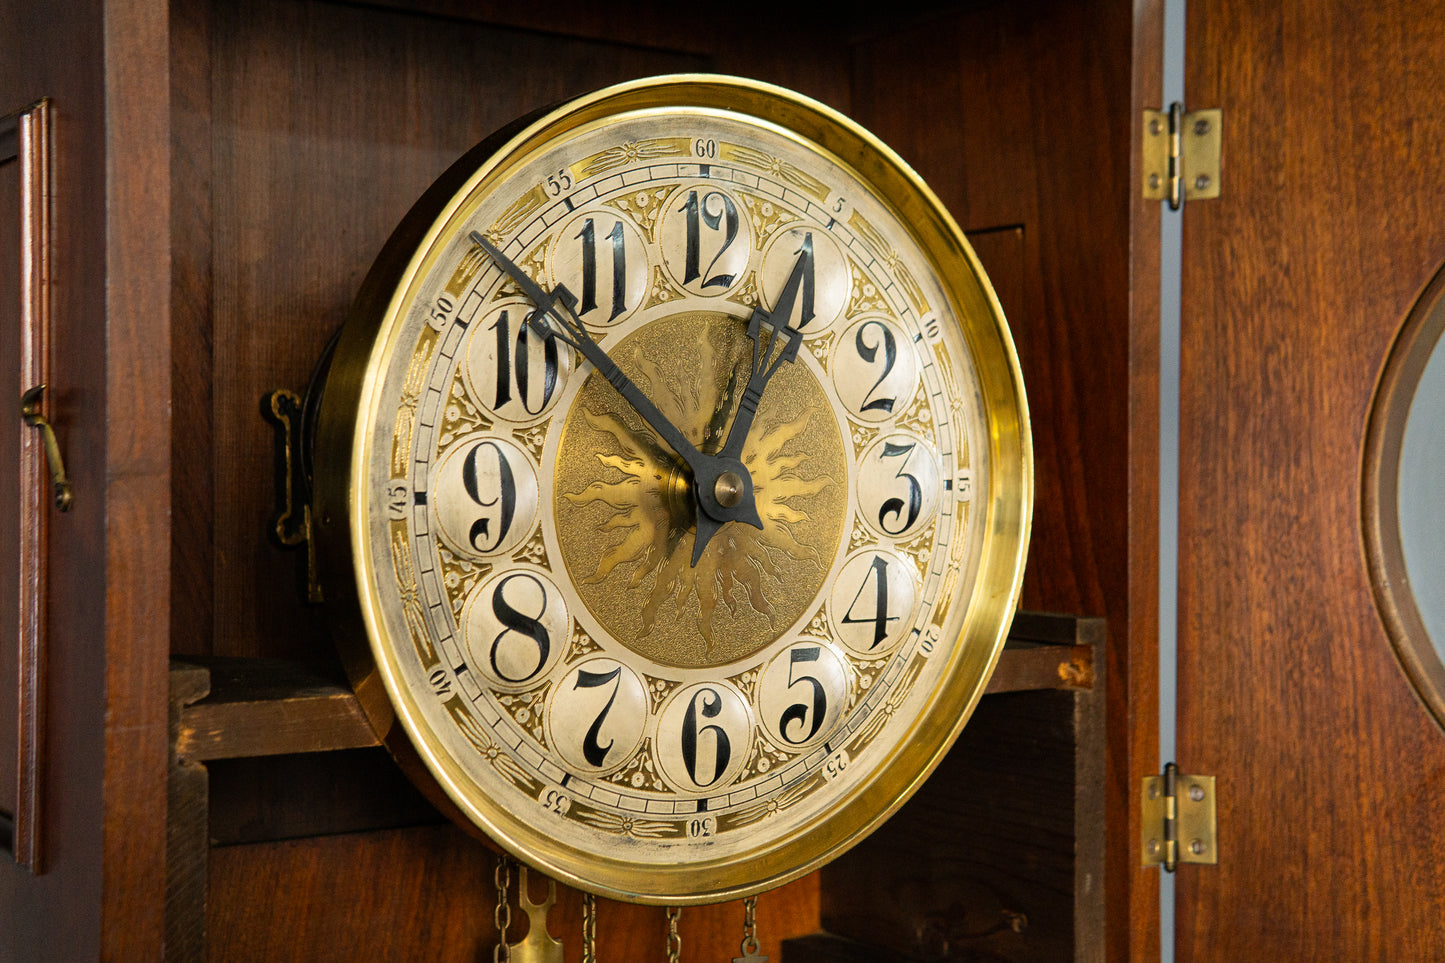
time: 12:52
